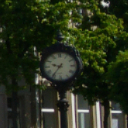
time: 9:36
